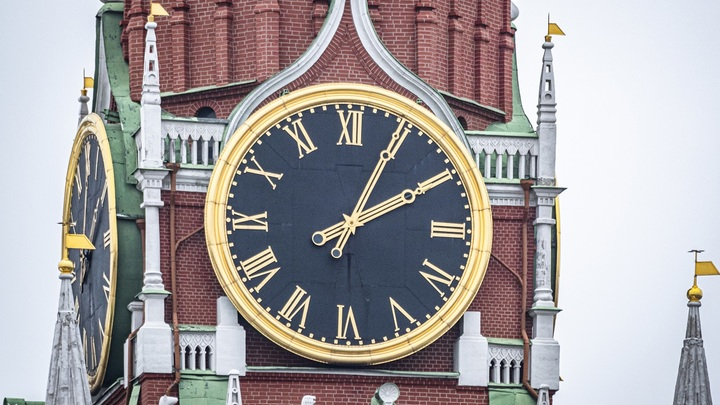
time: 2:04
